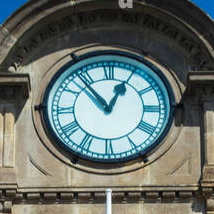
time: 12:53
